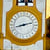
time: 8:11
